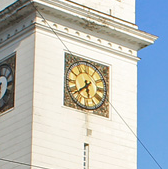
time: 5:38
